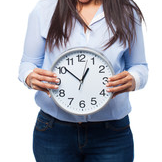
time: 12:51
